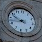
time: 9:42
